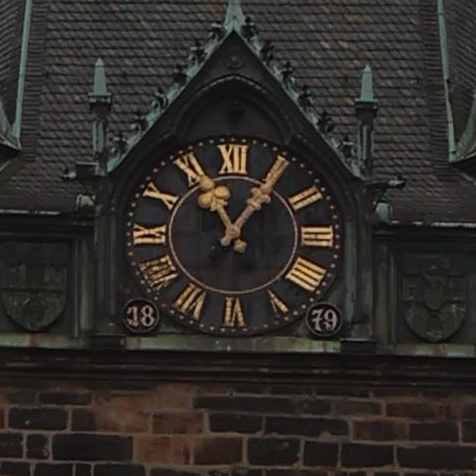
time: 11:05
